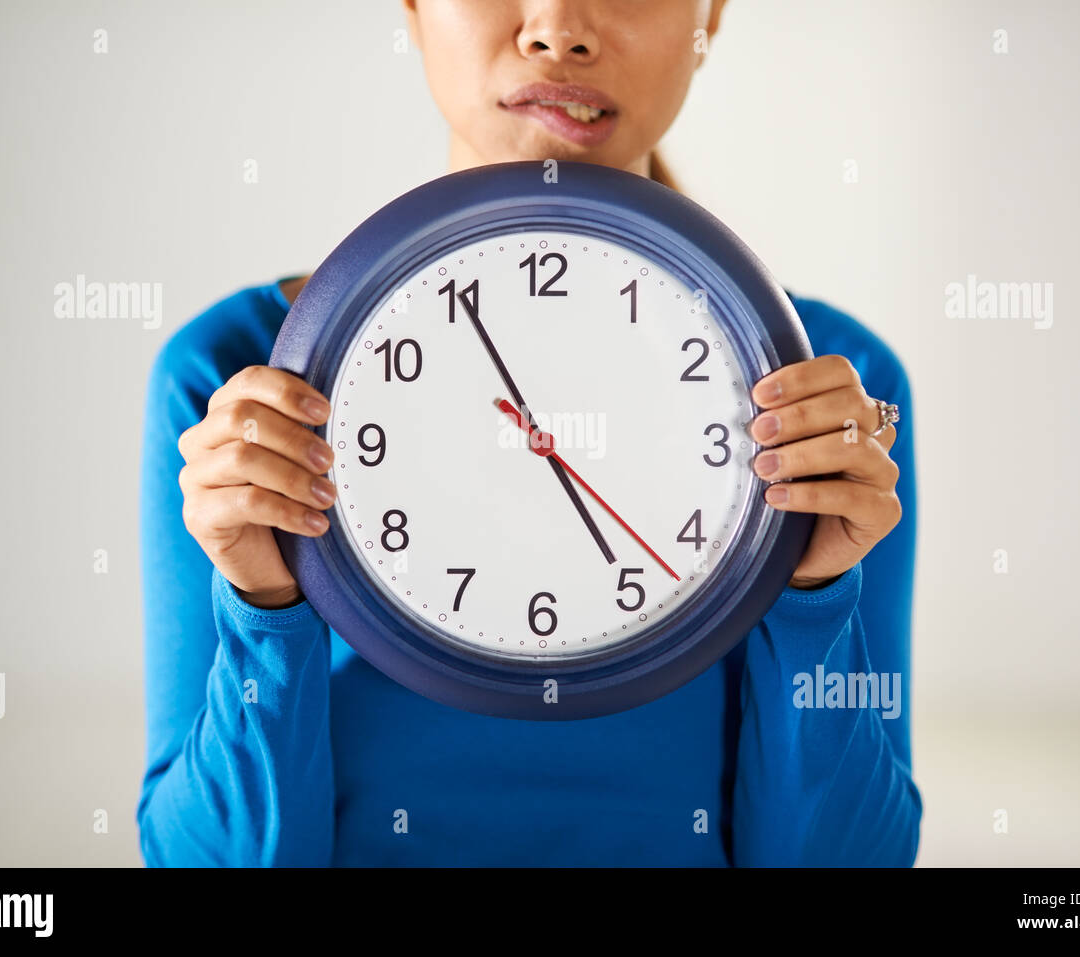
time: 4:55
